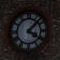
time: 4:07
